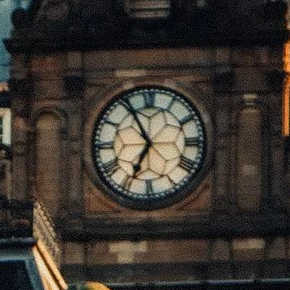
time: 6:55
